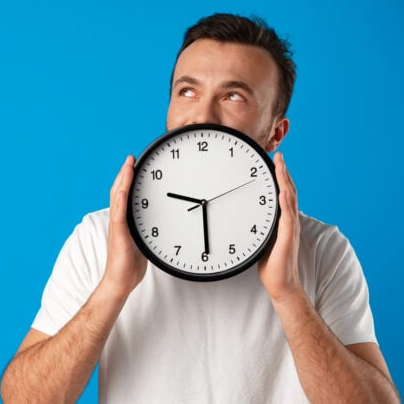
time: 9:29
